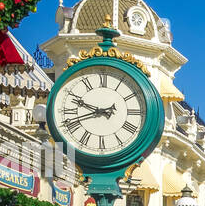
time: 9:41
